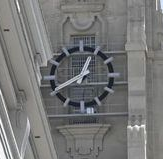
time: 12:40
